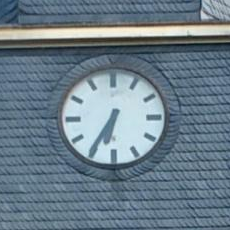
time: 6:35
